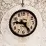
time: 9:23
